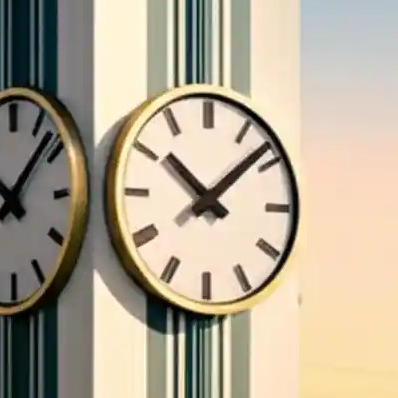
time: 10:08
